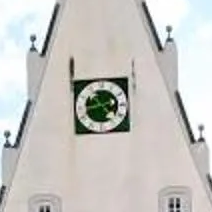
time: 4:42
